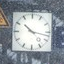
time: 10:17
